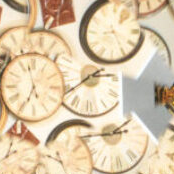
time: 2:39
